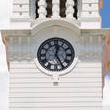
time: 12:24
